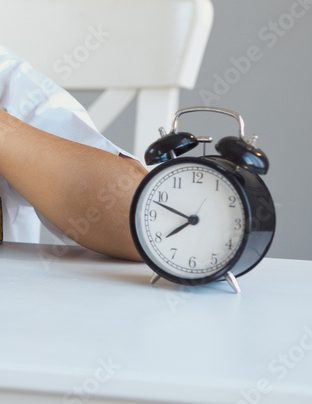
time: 7:48
